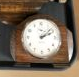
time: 2:08
